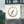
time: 7:33
